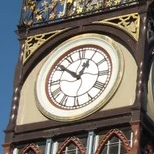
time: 12:51
